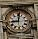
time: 9:01
